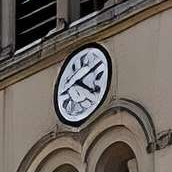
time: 4:10
